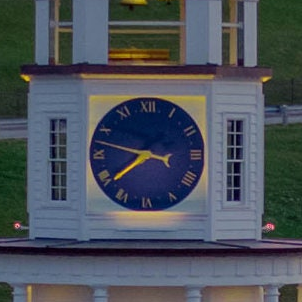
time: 7:47
